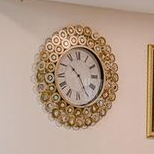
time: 10:24
